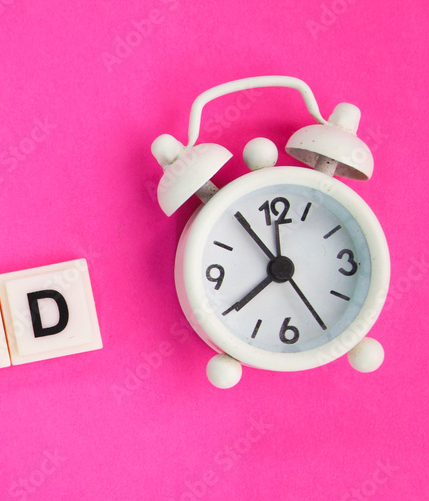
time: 7:54
